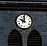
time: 10:00
